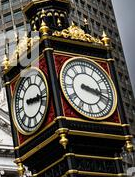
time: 3:18
